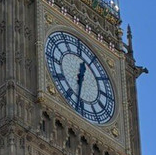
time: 12:32
